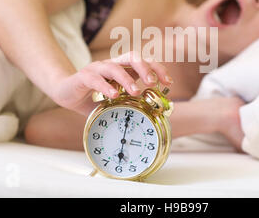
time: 6:00
